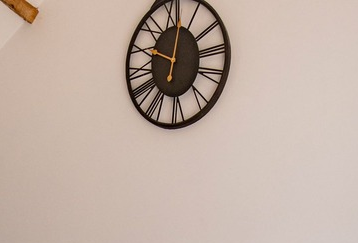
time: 10:02
